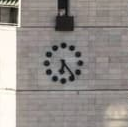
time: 6:23
